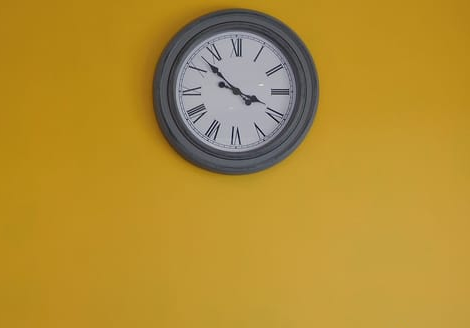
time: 3:52
